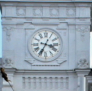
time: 3:34
